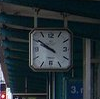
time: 9:50
